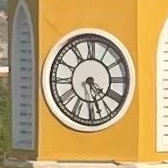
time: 5:20
